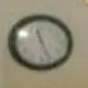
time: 11:26
